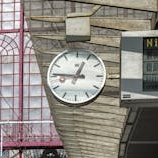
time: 12:46
